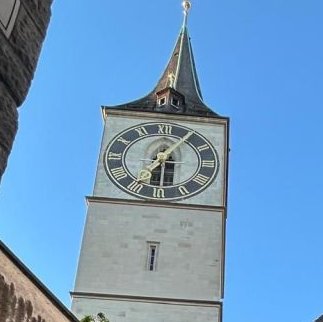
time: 6:05
